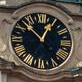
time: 12:52
